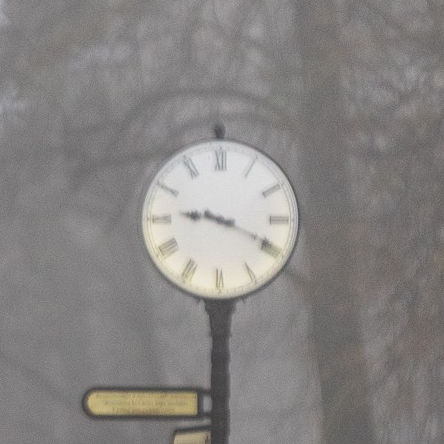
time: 9:19
